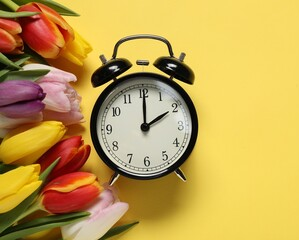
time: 2:00
